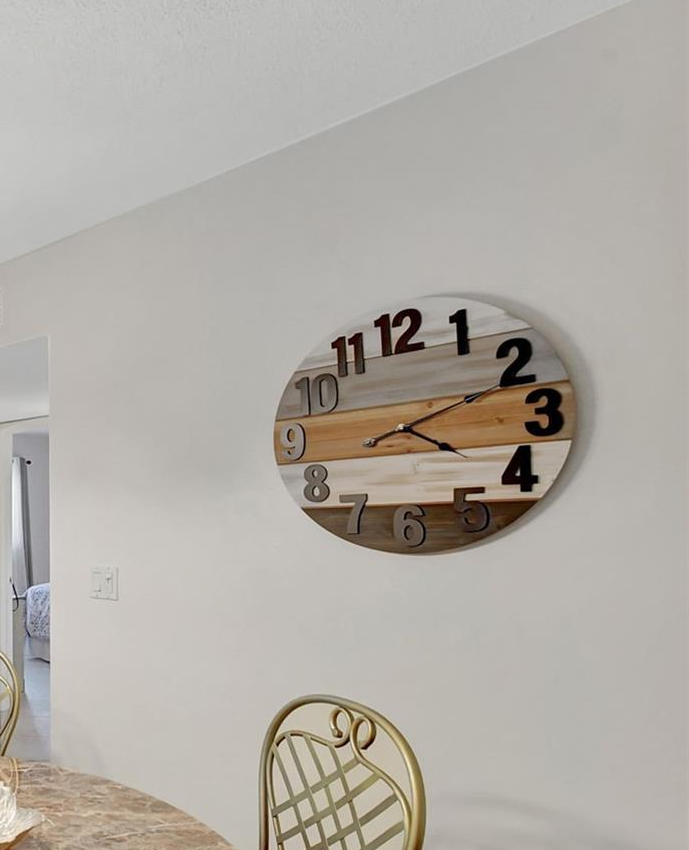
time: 4:11
